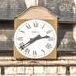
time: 2:39
